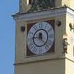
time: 11:45
